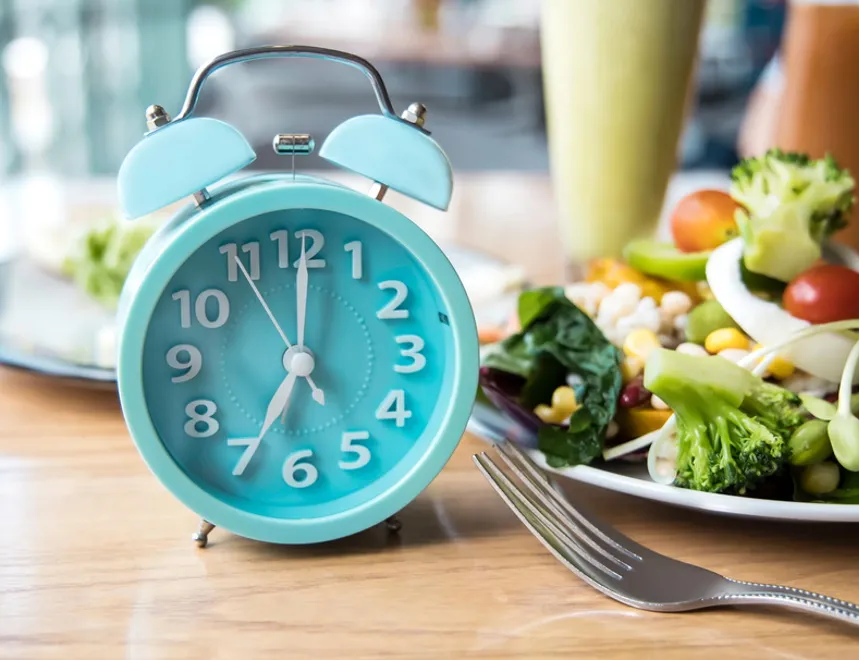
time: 7:00
